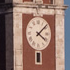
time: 4:08
